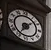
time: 7:08
